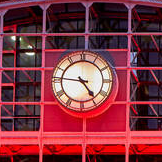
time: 4:46
